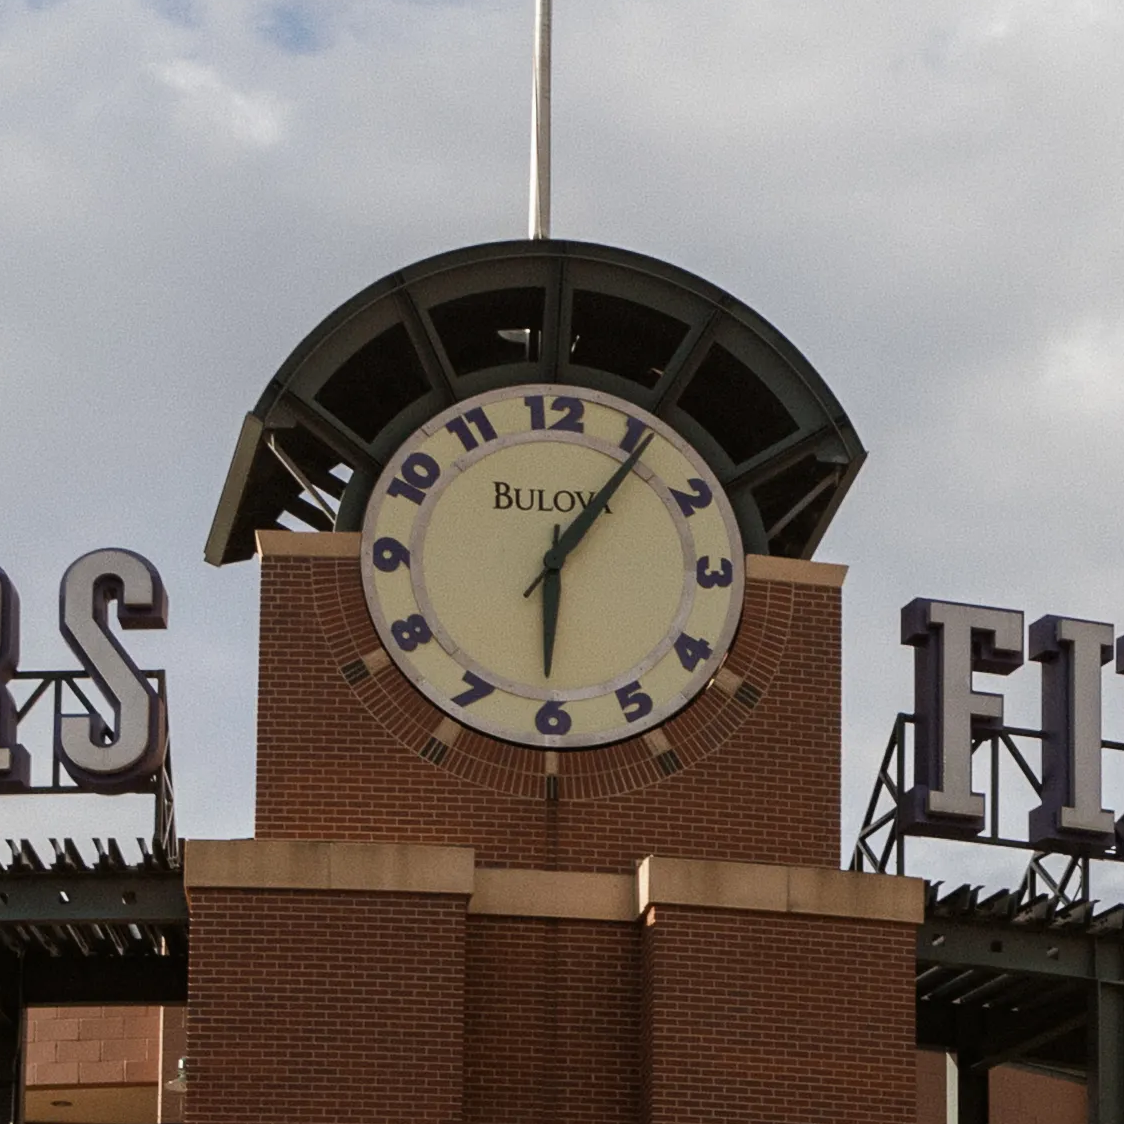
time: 6:06
